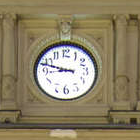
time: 8:47
